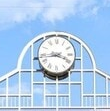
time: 3:43
